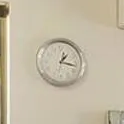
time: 1:16
